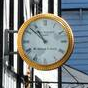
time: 10:52
